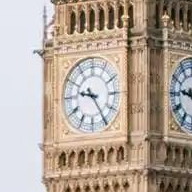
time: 9:24
